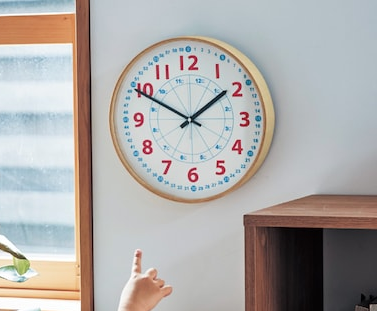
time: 1:49
